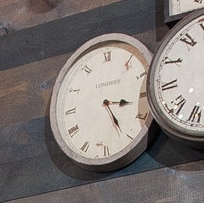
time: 3:25
